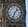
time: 1:33
